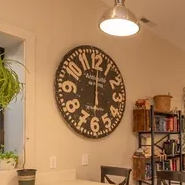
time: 6:00
